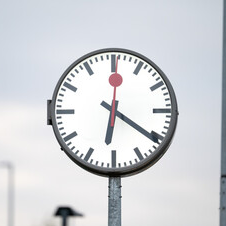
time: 6:20
